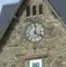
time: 4:01
